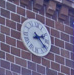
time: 2:21
